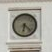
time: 6:22
